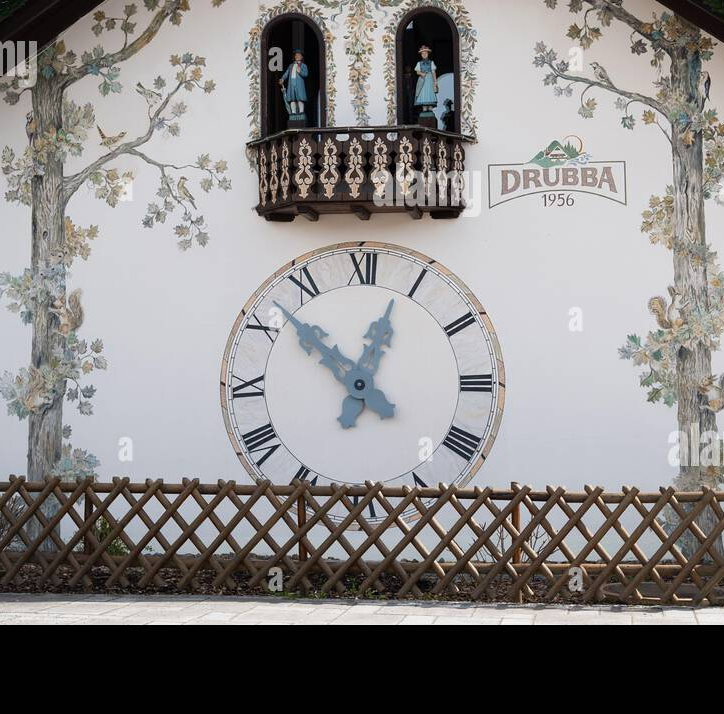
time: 12:52
